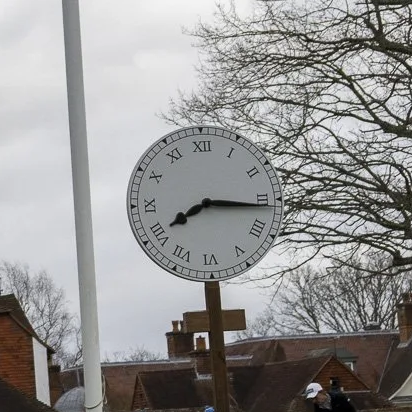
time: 8:16
